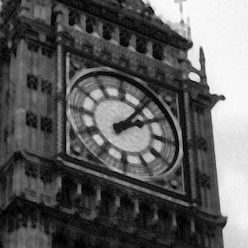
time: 2:06
